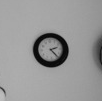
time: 2:23
